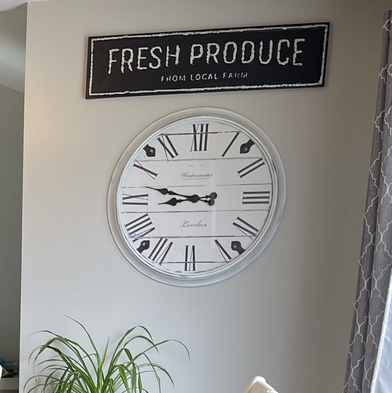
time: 8:47
